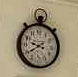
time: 9:39
